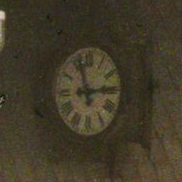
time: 2:57
